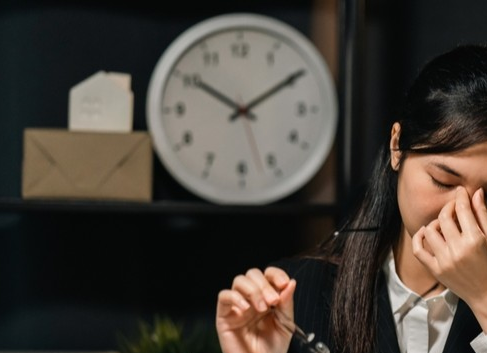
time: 10:09
